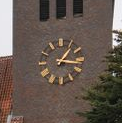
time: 1:16
